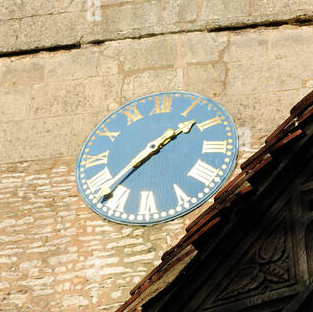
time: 1:37
